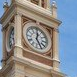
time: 12:24
